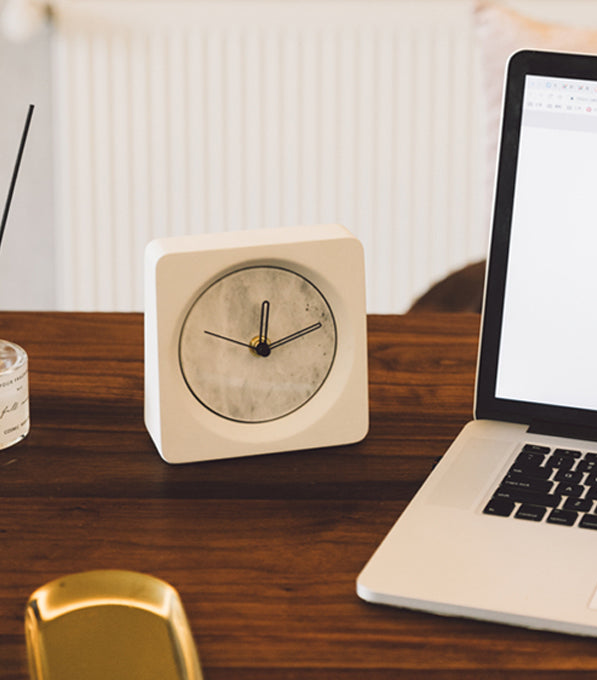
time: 12:11
